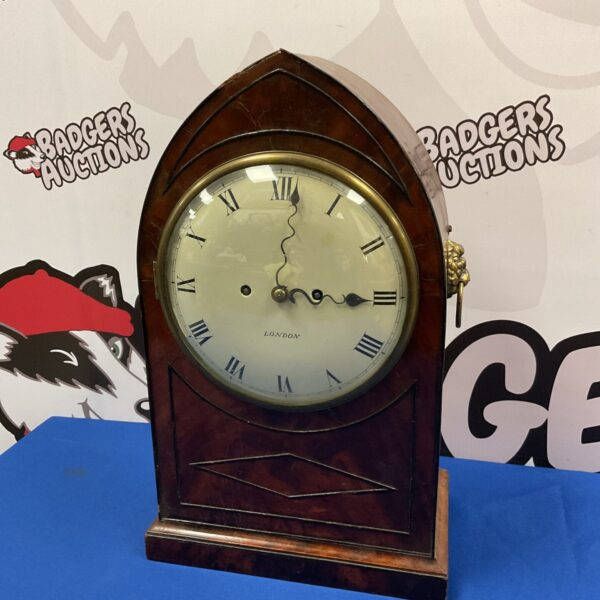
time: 3:15
